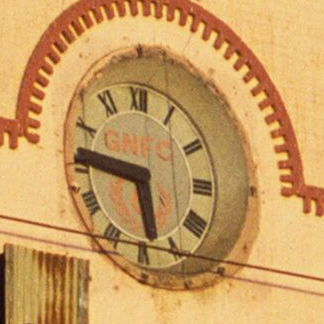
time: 5:46
